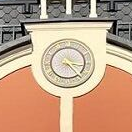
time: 3:23
